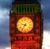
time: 9:35
